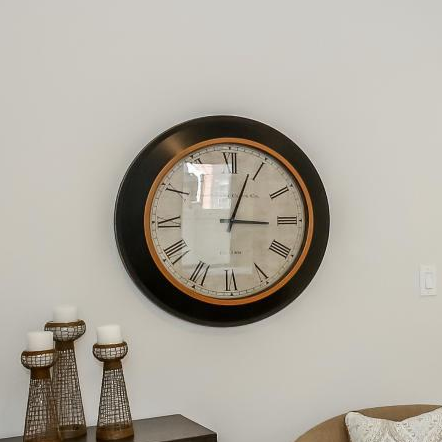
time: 3:03
